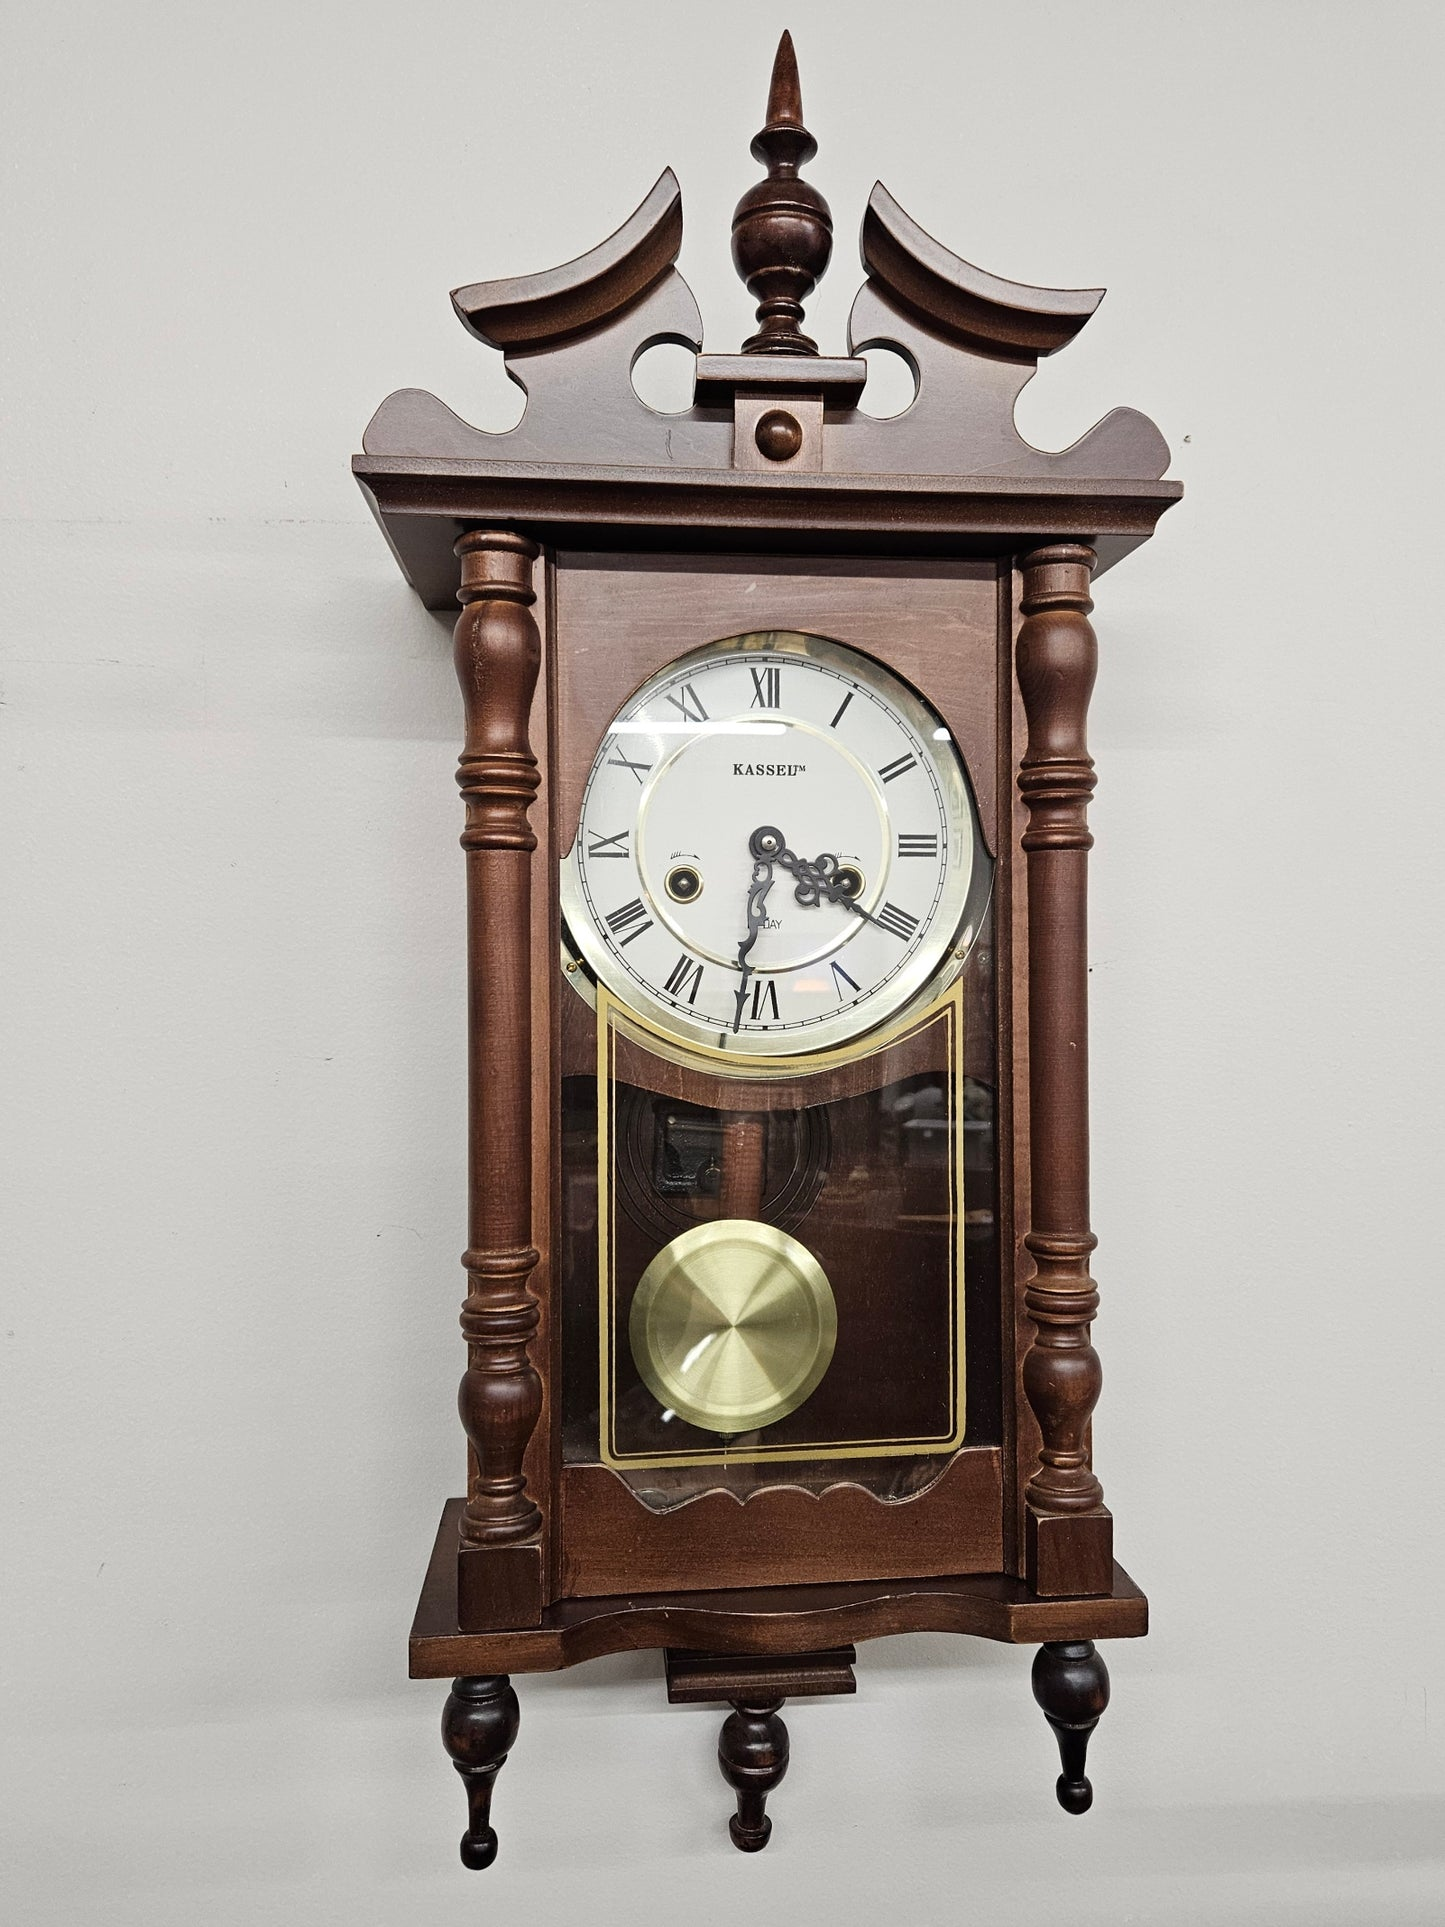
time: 3:32
